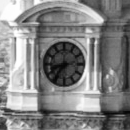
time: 8:36
